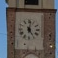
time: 5:01
